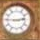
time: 2:45
